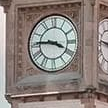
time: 3:45
